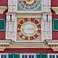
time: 2:42
